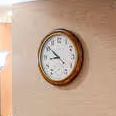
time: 8:51
